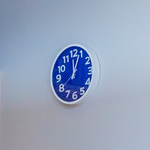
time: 12:04
